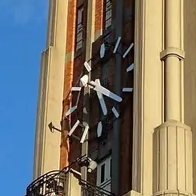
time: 4:17
